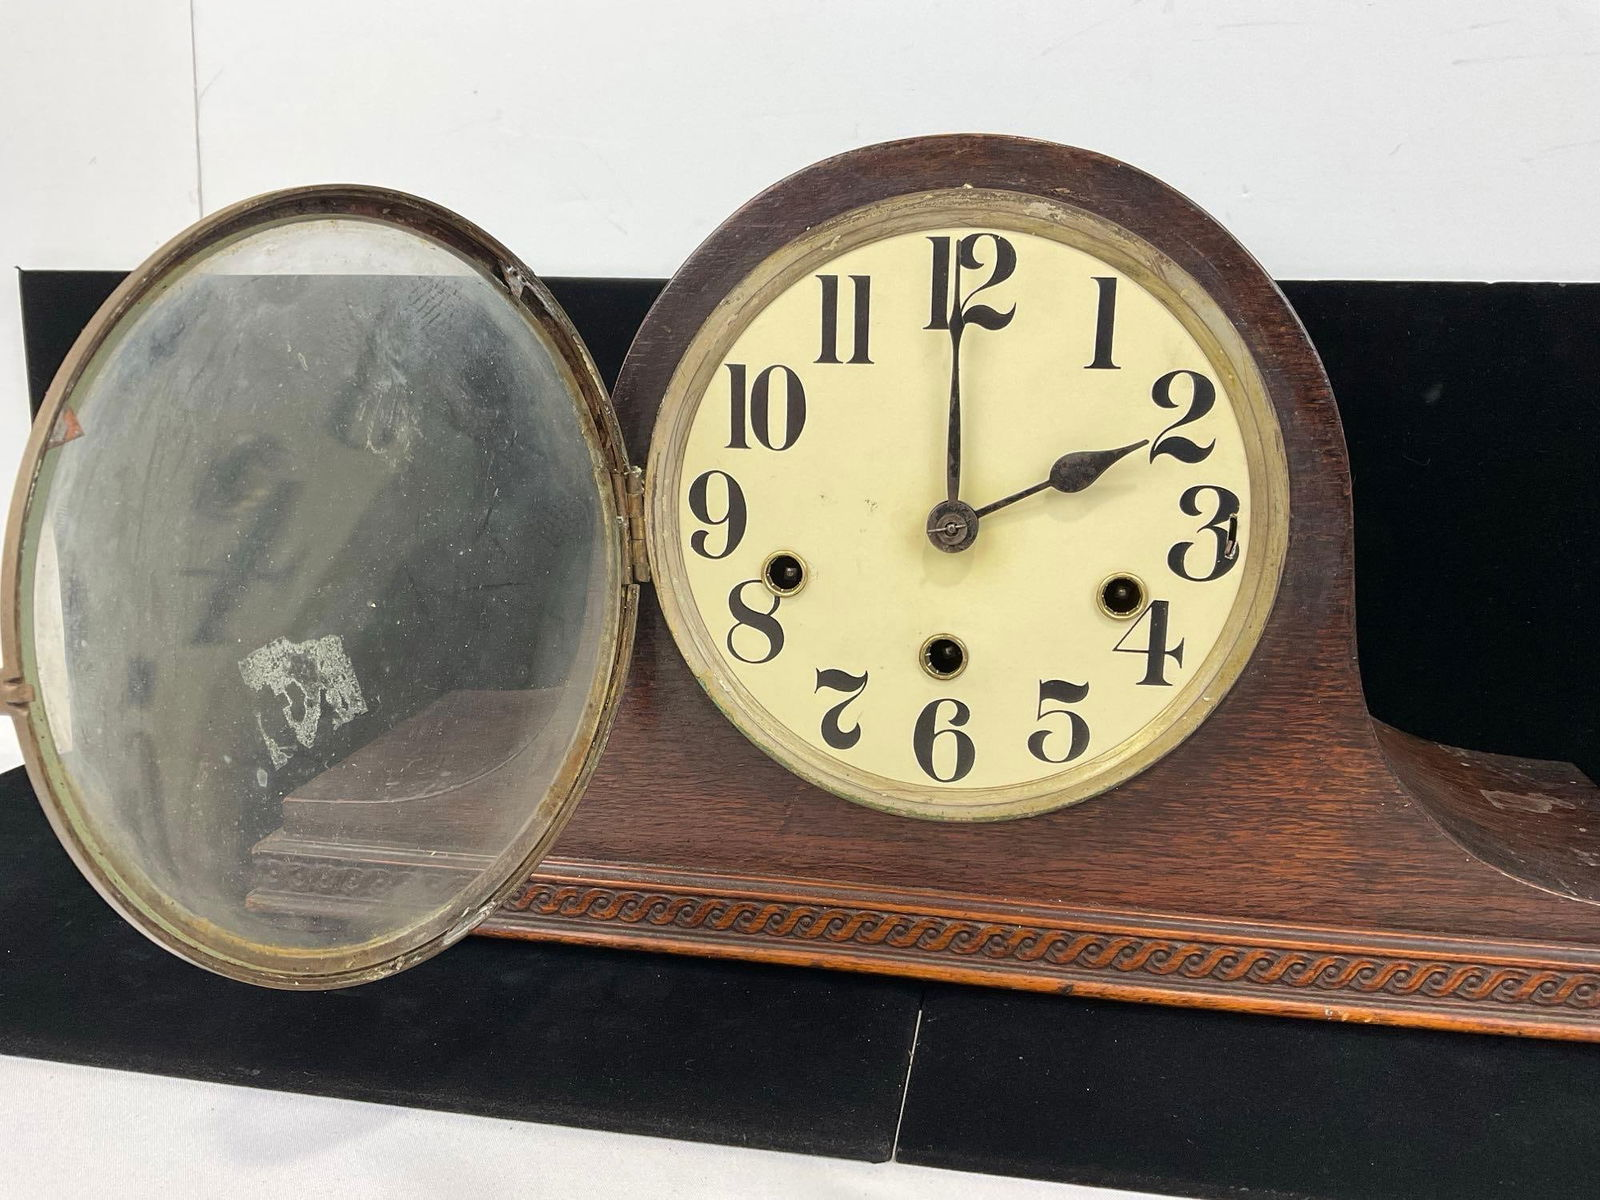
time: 1:59
